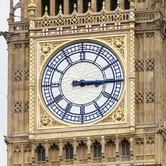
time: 3:14
